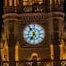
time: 6:54
